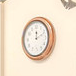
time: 12:11
